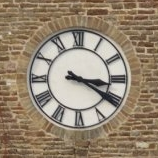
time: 3:20
